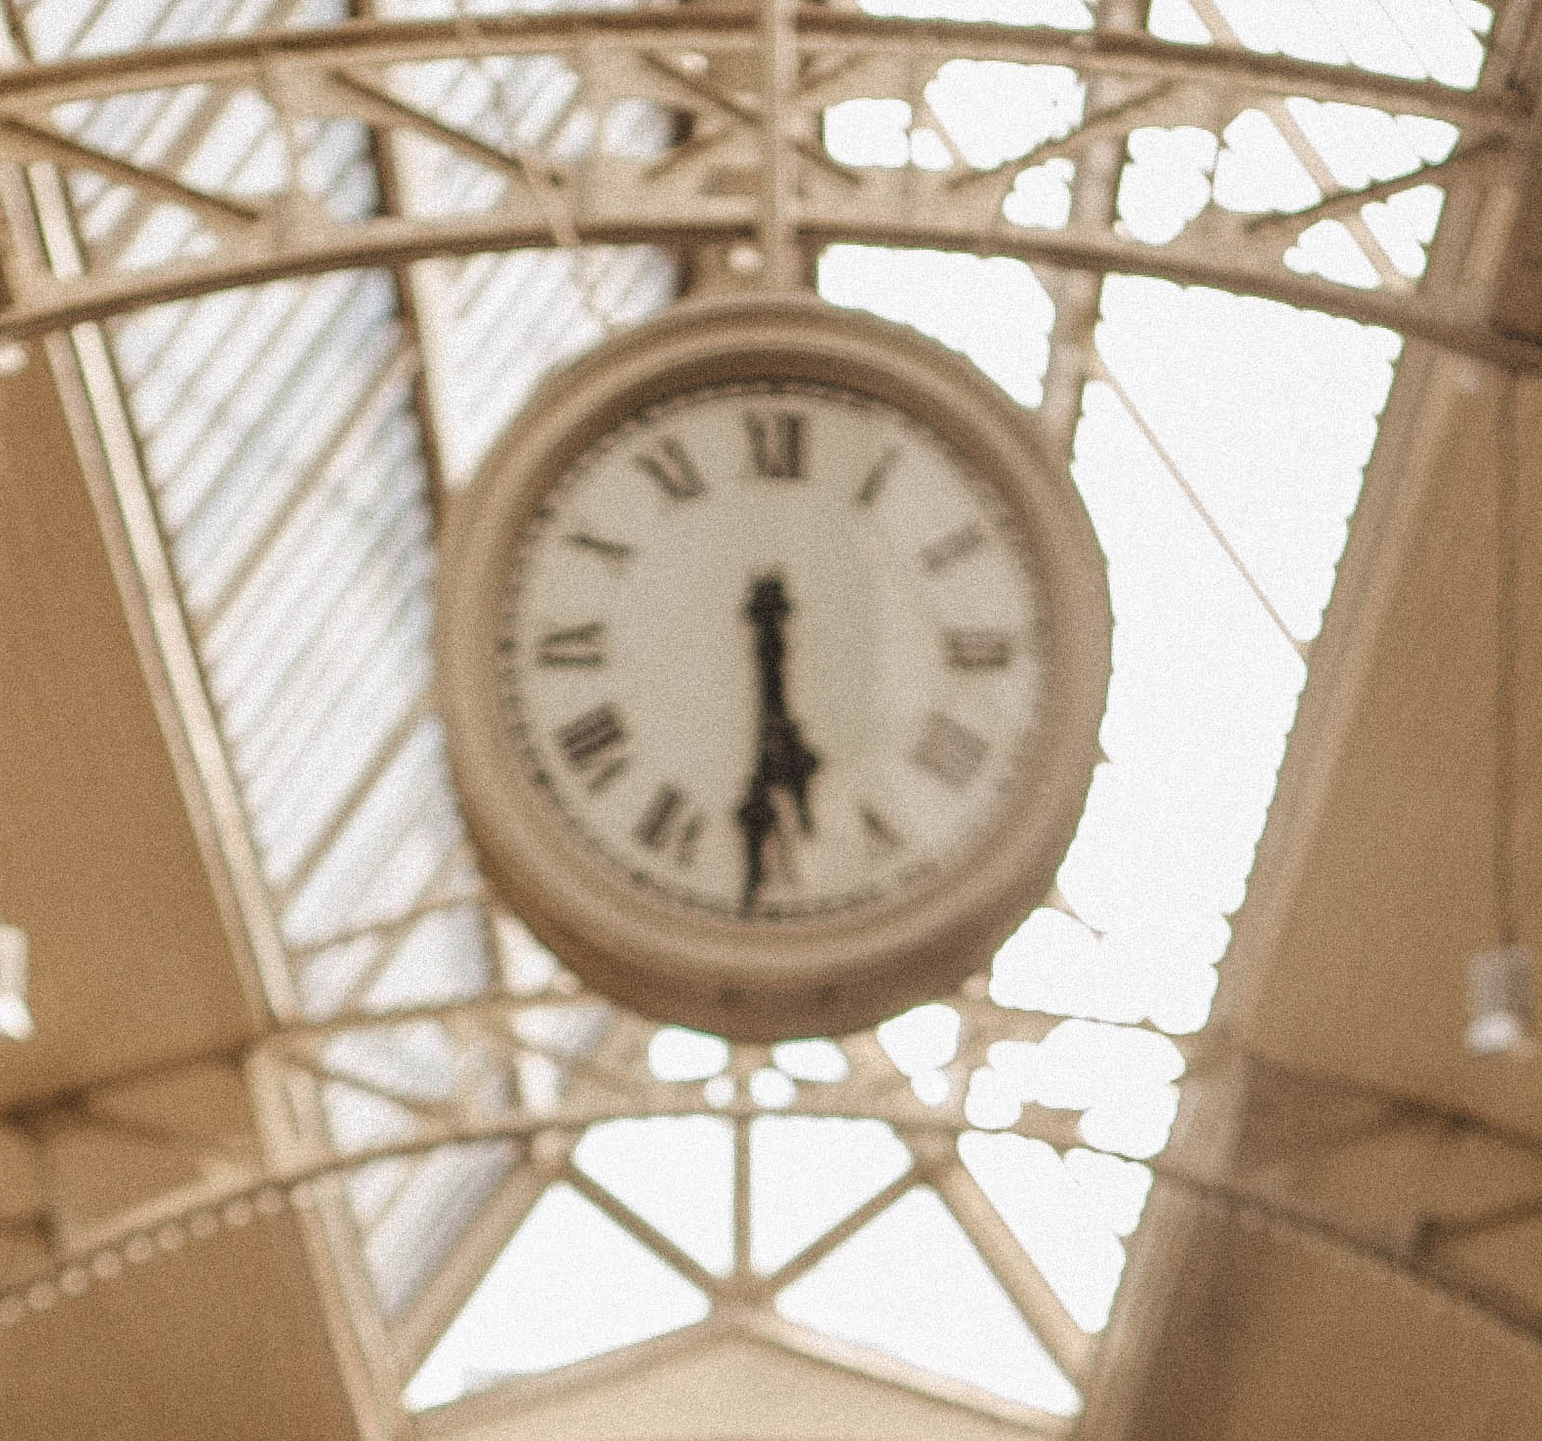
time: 5:30
